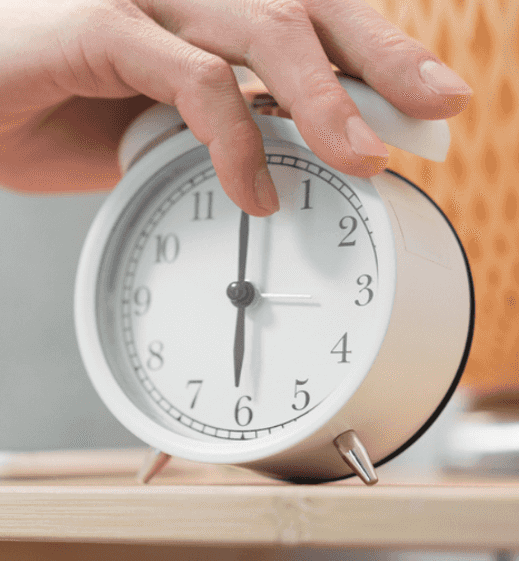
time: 6:00
